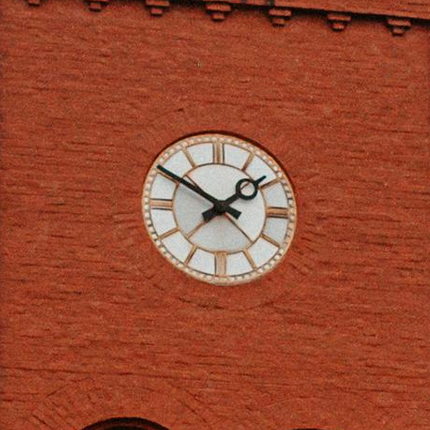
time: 1:50
